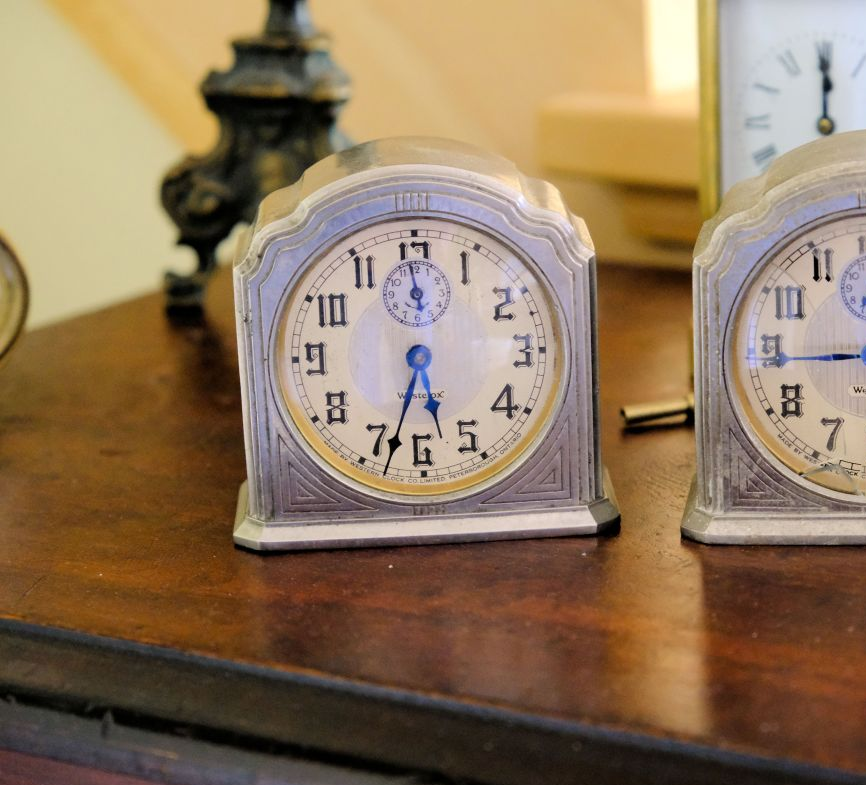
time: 5:33
